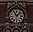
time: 11:07
